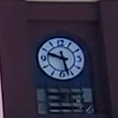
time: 9:27
